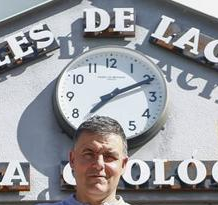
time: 7:10
